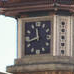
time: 11:41
